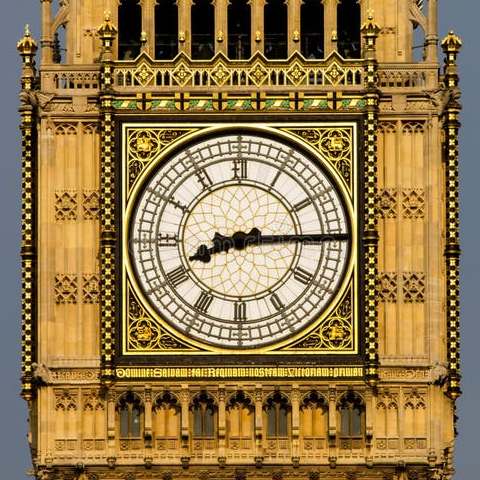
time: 8:14
